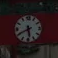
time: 5:40
